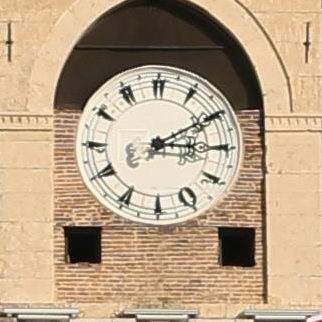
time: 3:09
